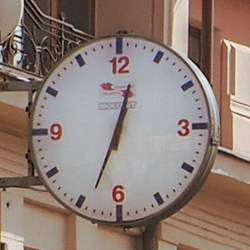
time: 12:33
